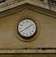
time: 1:40
